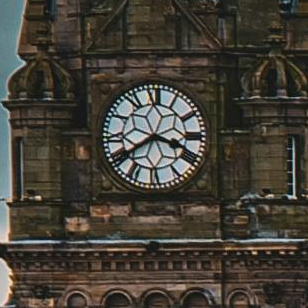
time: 3:39
